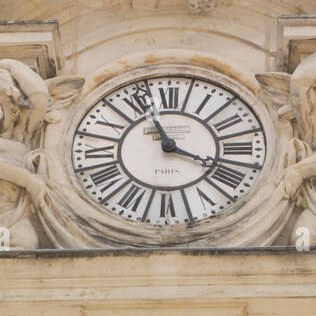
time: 11:18
